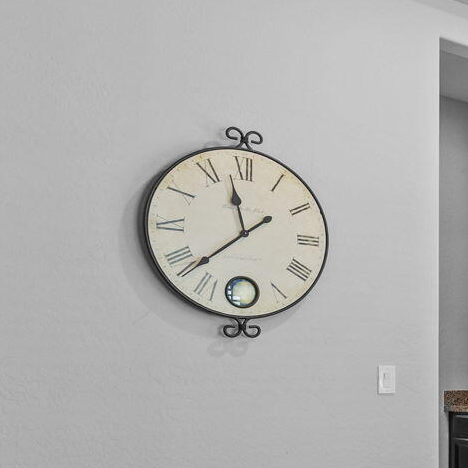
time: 11:37
